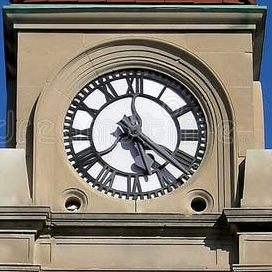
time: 5:21
